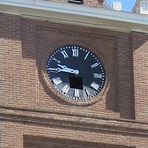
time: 9:45
